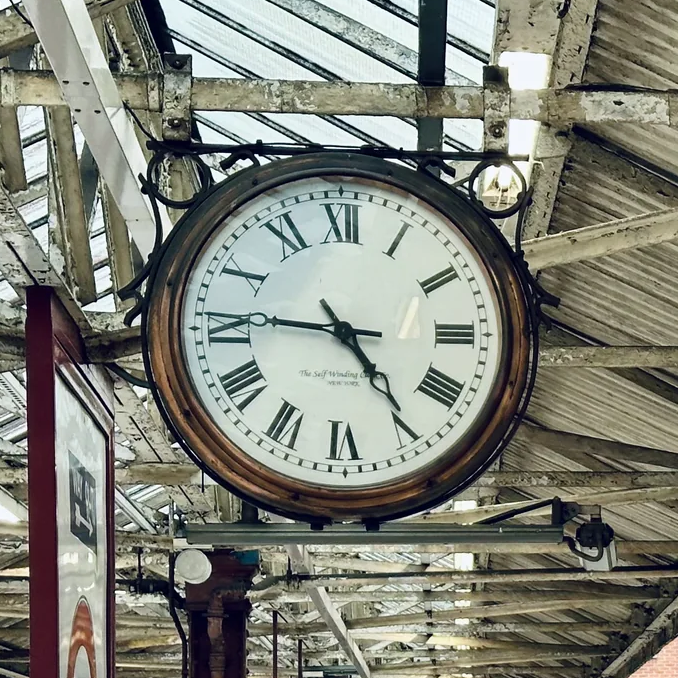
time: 4:46
